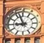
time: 8:56
